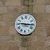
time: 9:15
